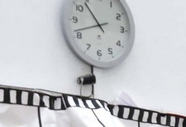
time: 10:41
